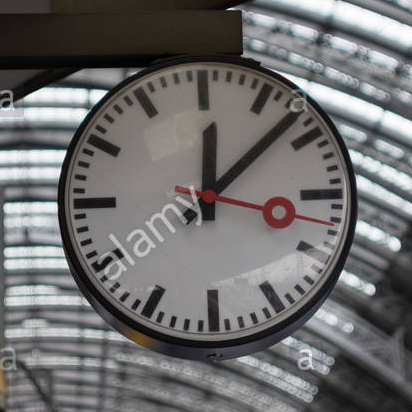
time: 12:07
